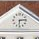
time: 6:14
